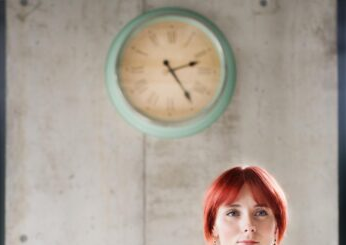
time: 2:24
